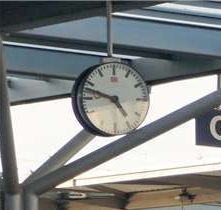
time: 4:47
